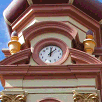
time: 12:07
